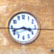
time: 3:42
